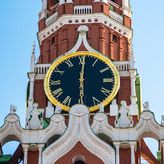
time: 6:00
